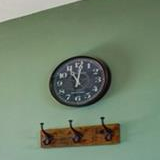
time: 11:01
